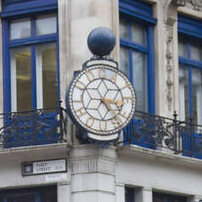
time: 3:23
